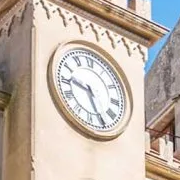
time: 9:25
